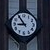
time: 8:54
